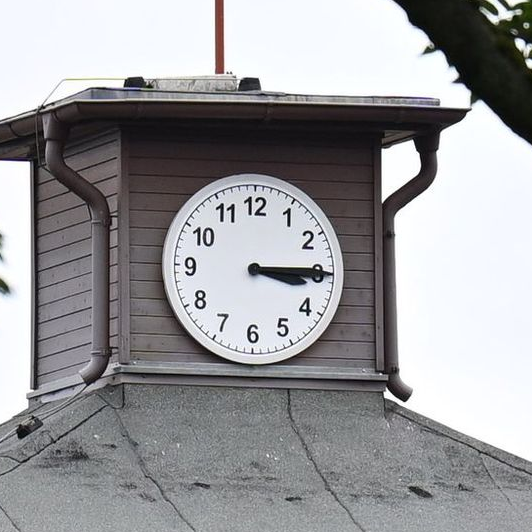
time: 3:14
